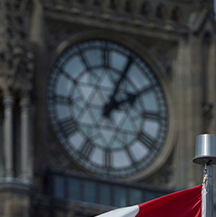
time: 2:04
